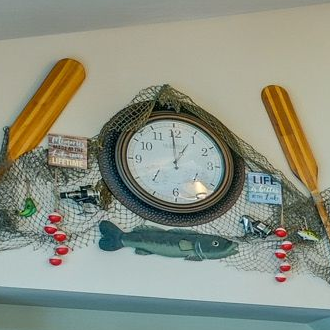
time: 12:59
